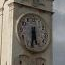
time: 5:32
